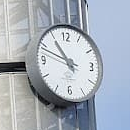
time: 10:48
